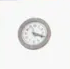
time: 5:18
